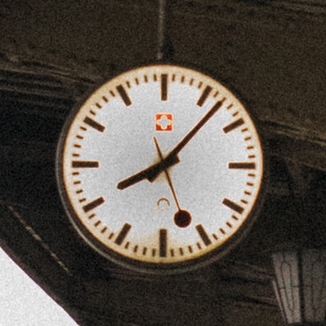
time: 8:07
